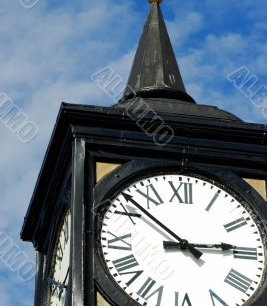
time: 2:52
